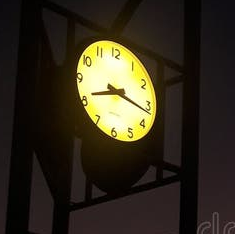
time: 8:16
